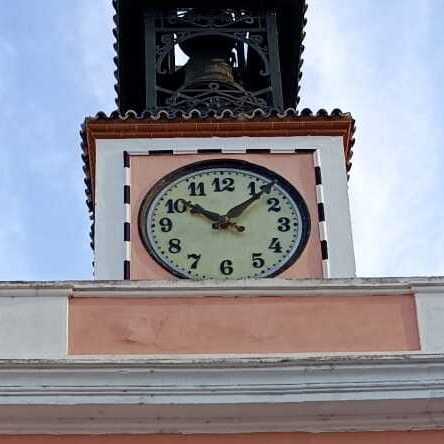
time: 10:07
